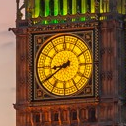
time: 8:39
